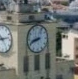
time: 8:41
